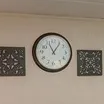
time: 11:06
